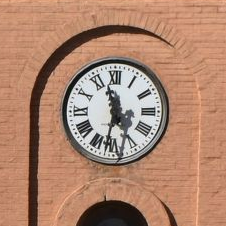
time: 11:32
